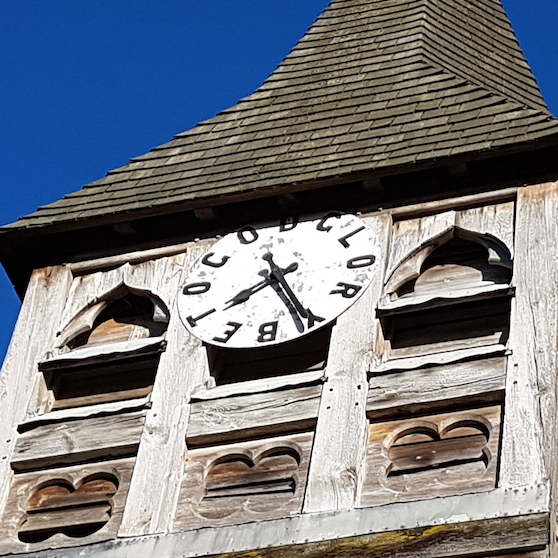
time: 7:25
